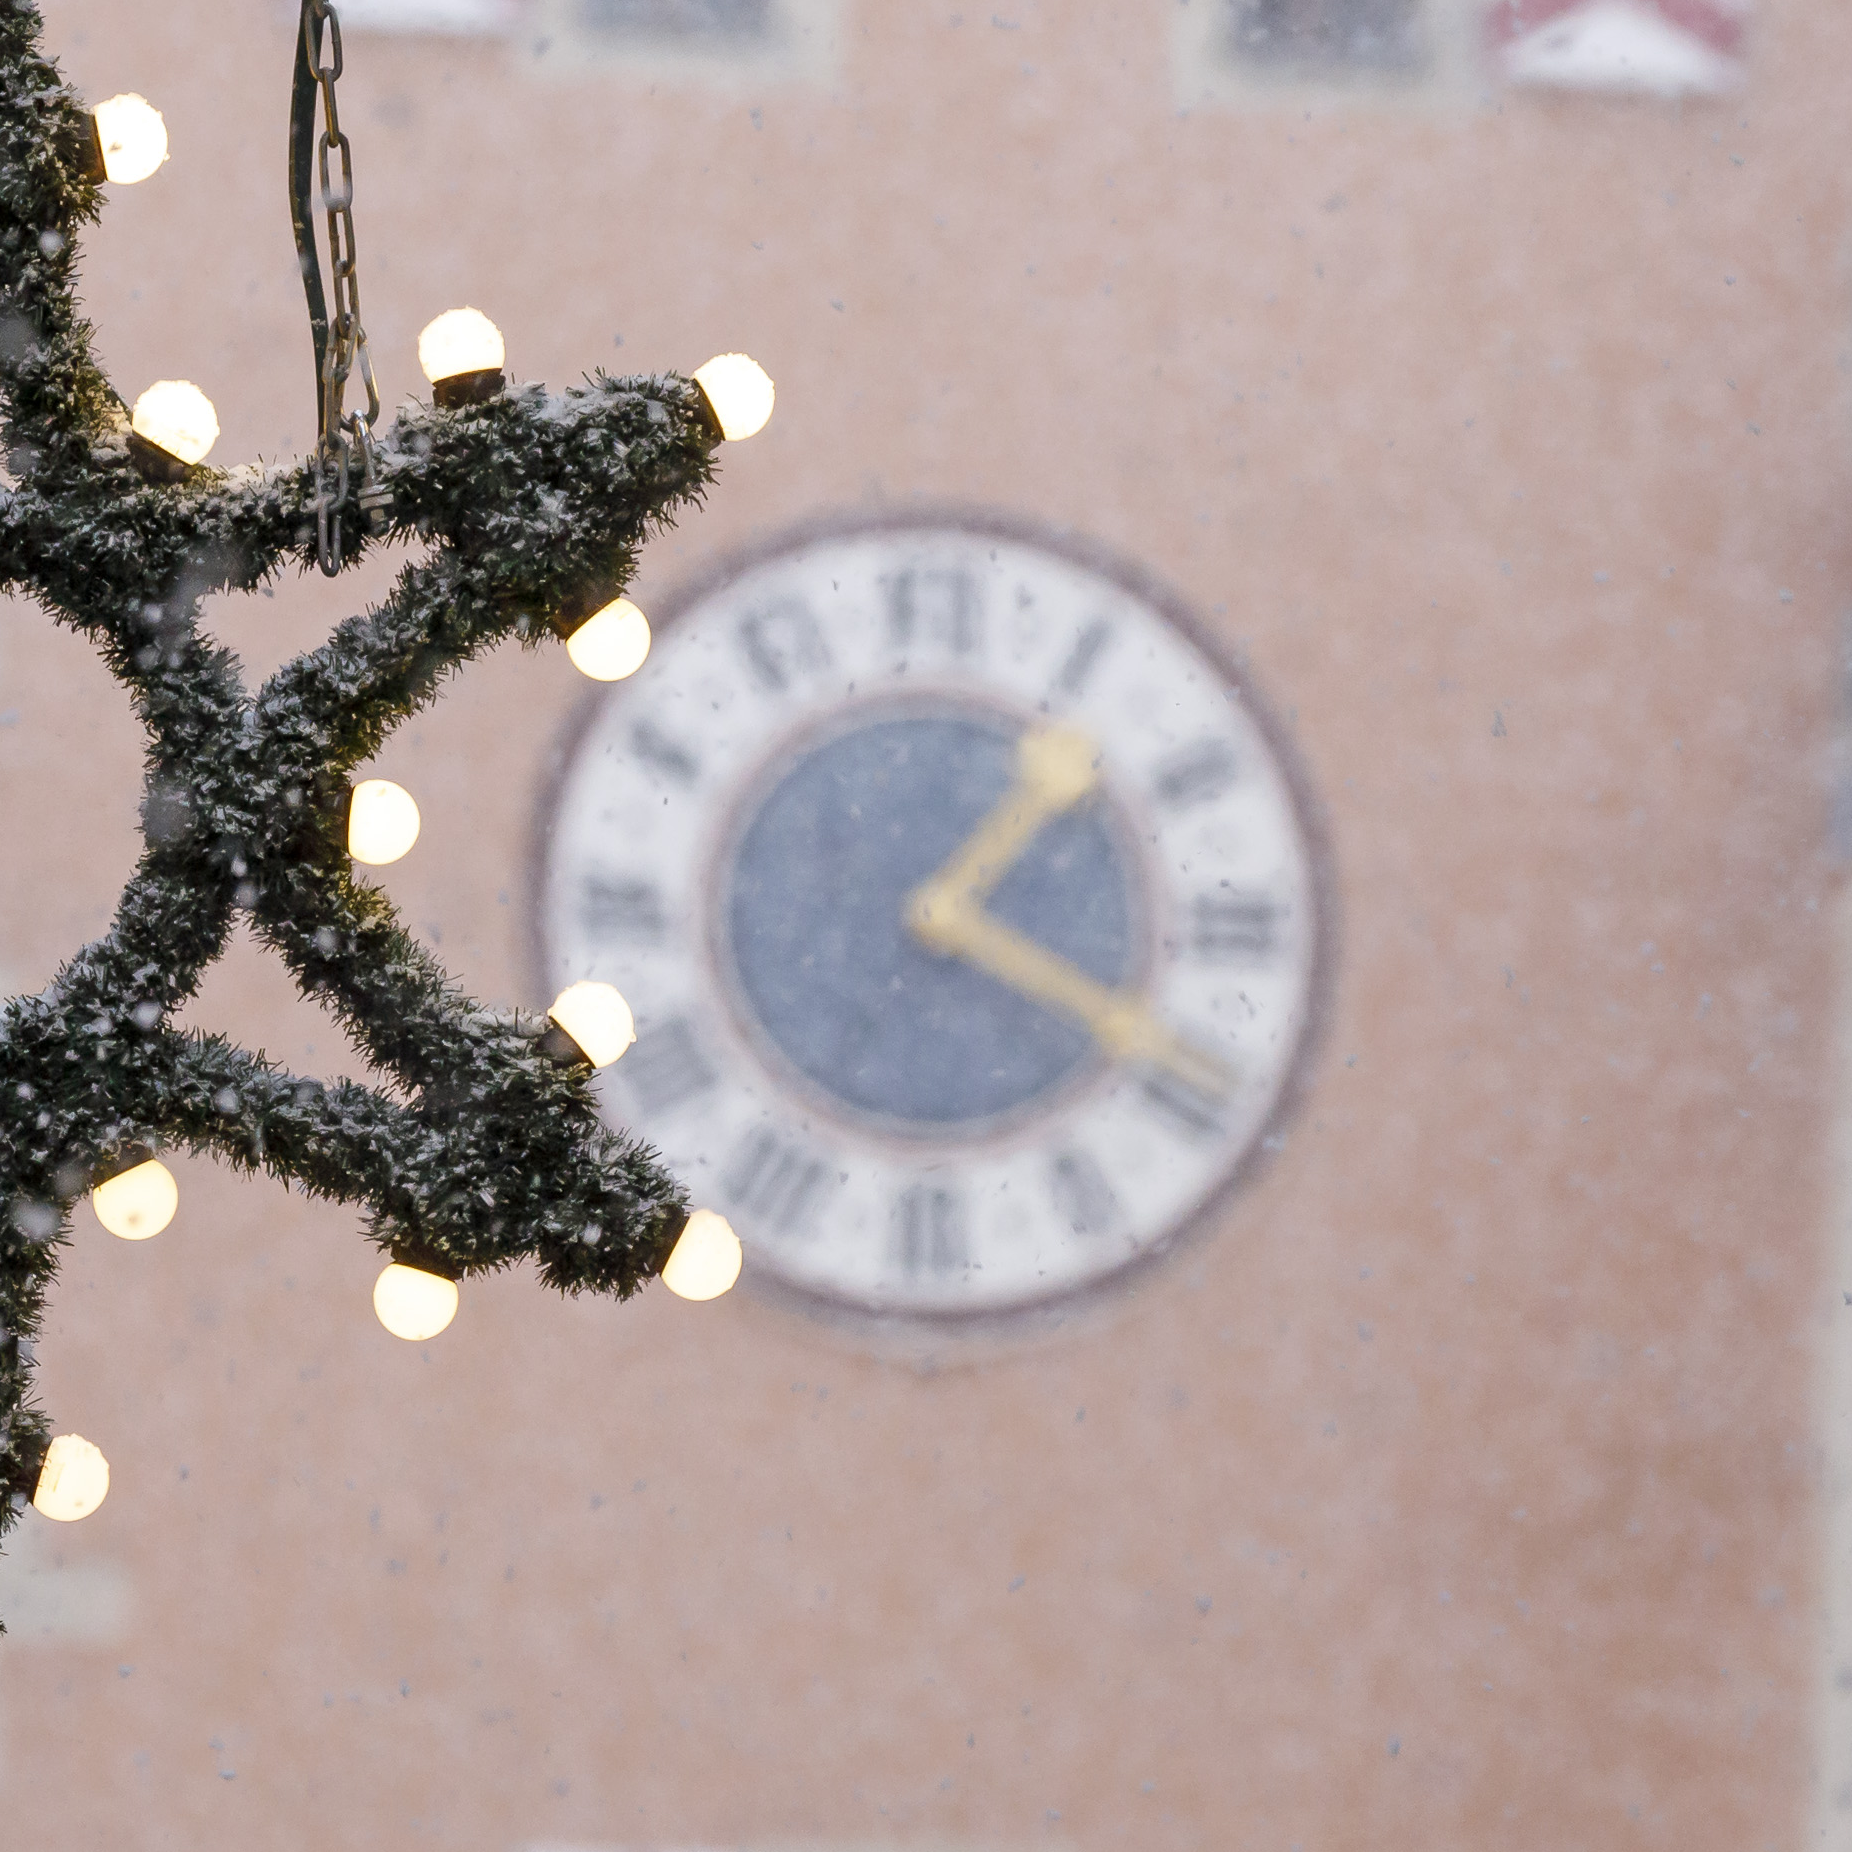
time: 1:19
